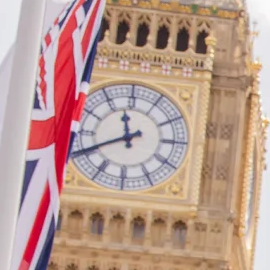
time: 11:40
